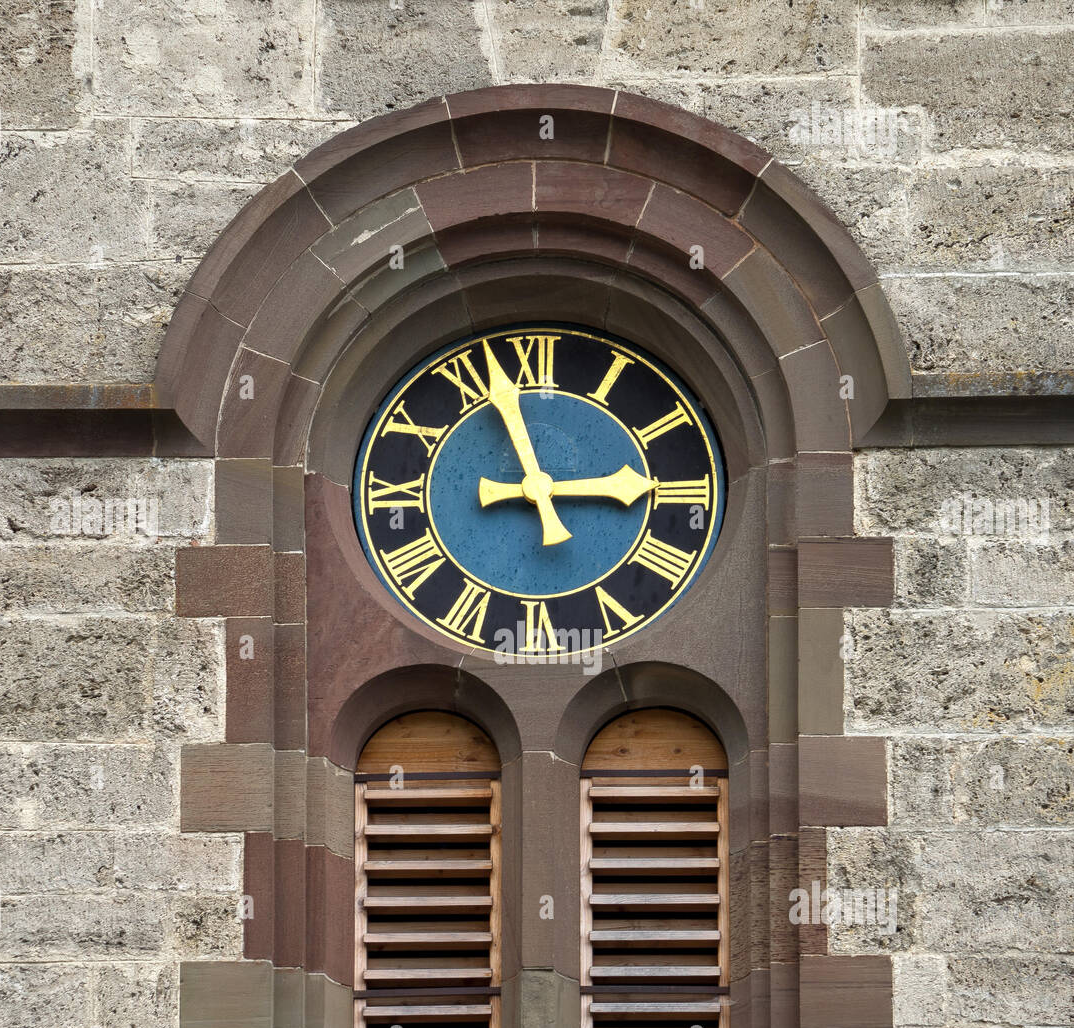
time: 2:56
